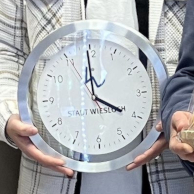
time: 4:00
